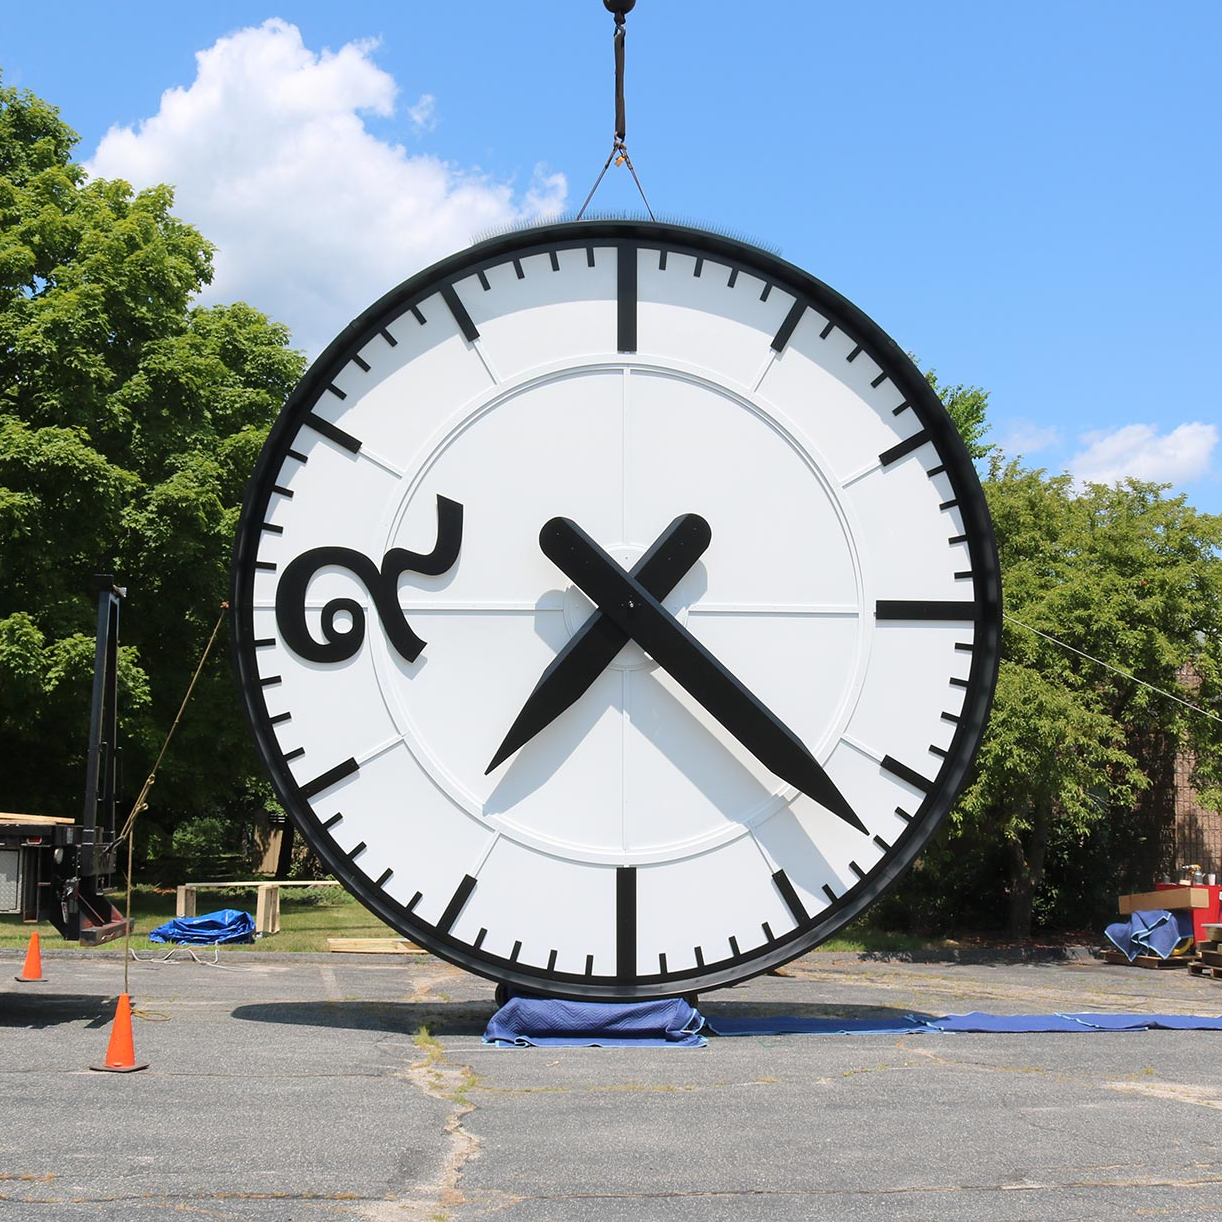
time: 7:22
